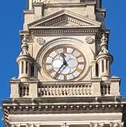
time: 11:35
